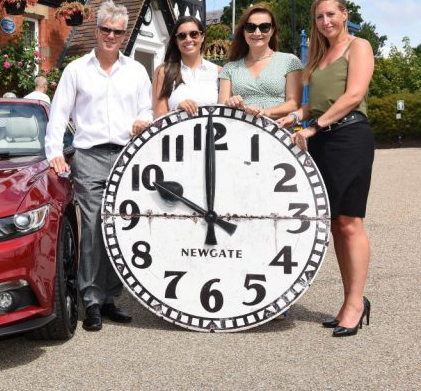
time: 9:59
